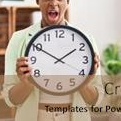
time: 1:50
